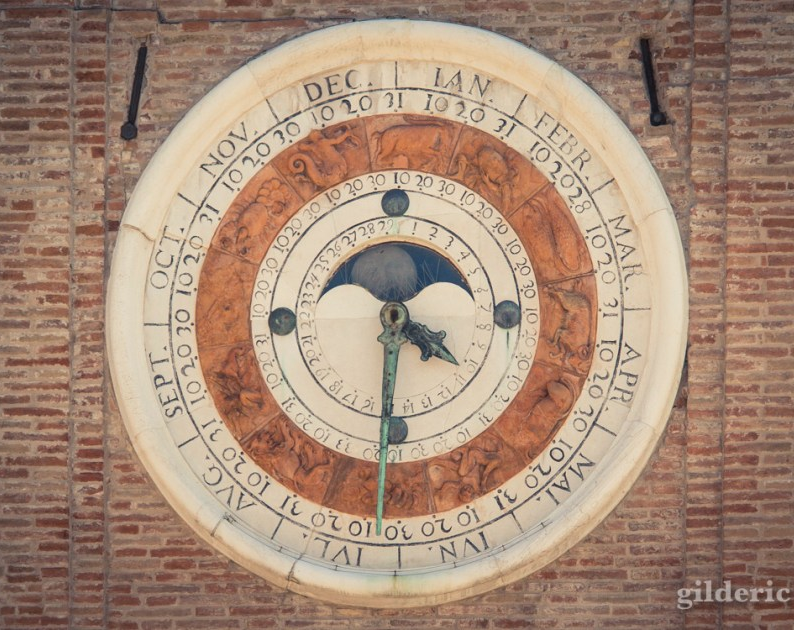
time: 3:29
